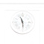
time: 11:29
